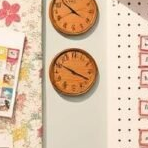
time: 3:50
